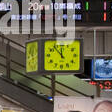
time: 11:53
